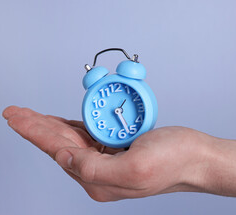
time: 1:26
